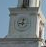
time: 9:01
